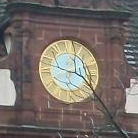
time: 3:47
